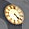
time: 4:21
